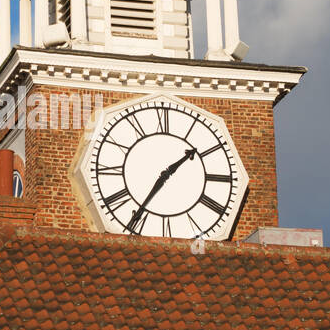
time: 1:35
